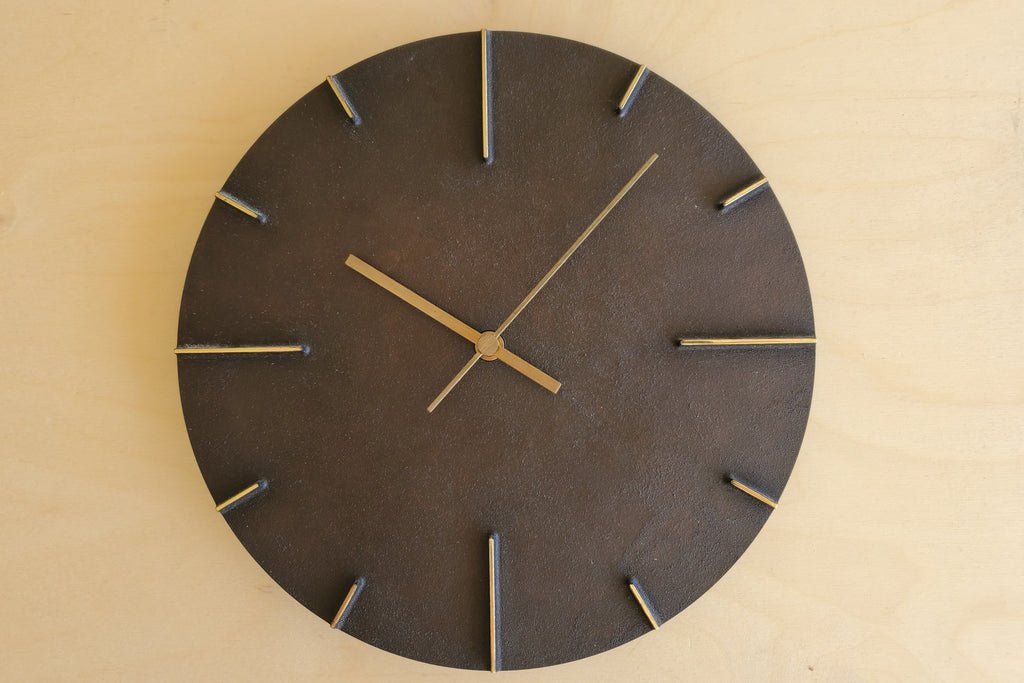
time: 10:07
